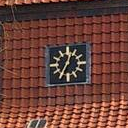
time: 12:34
